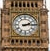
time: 2:14
